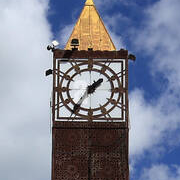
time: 1:36
